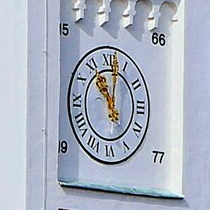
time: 11:02
